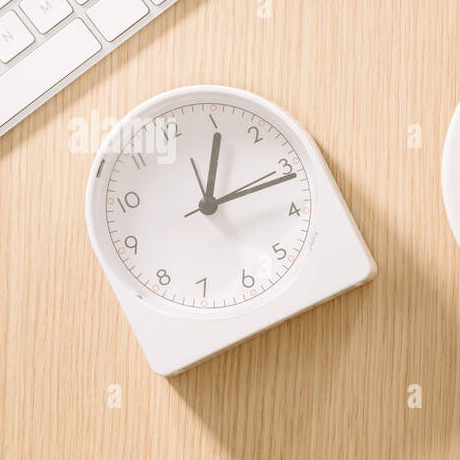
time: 1:16
